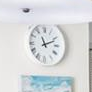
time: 11:11
